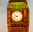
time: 9:41
